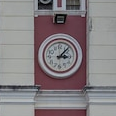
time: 3:07
